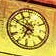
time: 6:48
